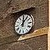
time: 12:06
